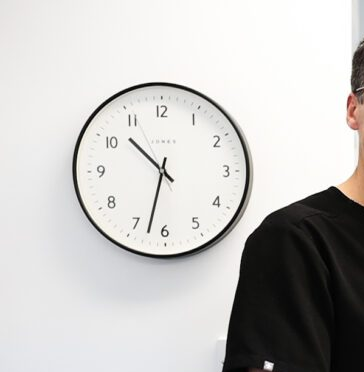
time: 10:32
